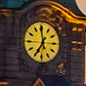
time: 6:59
